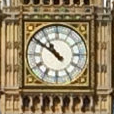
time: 10:50
